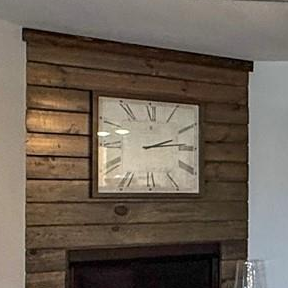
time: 2:13
